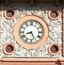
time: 8:25
